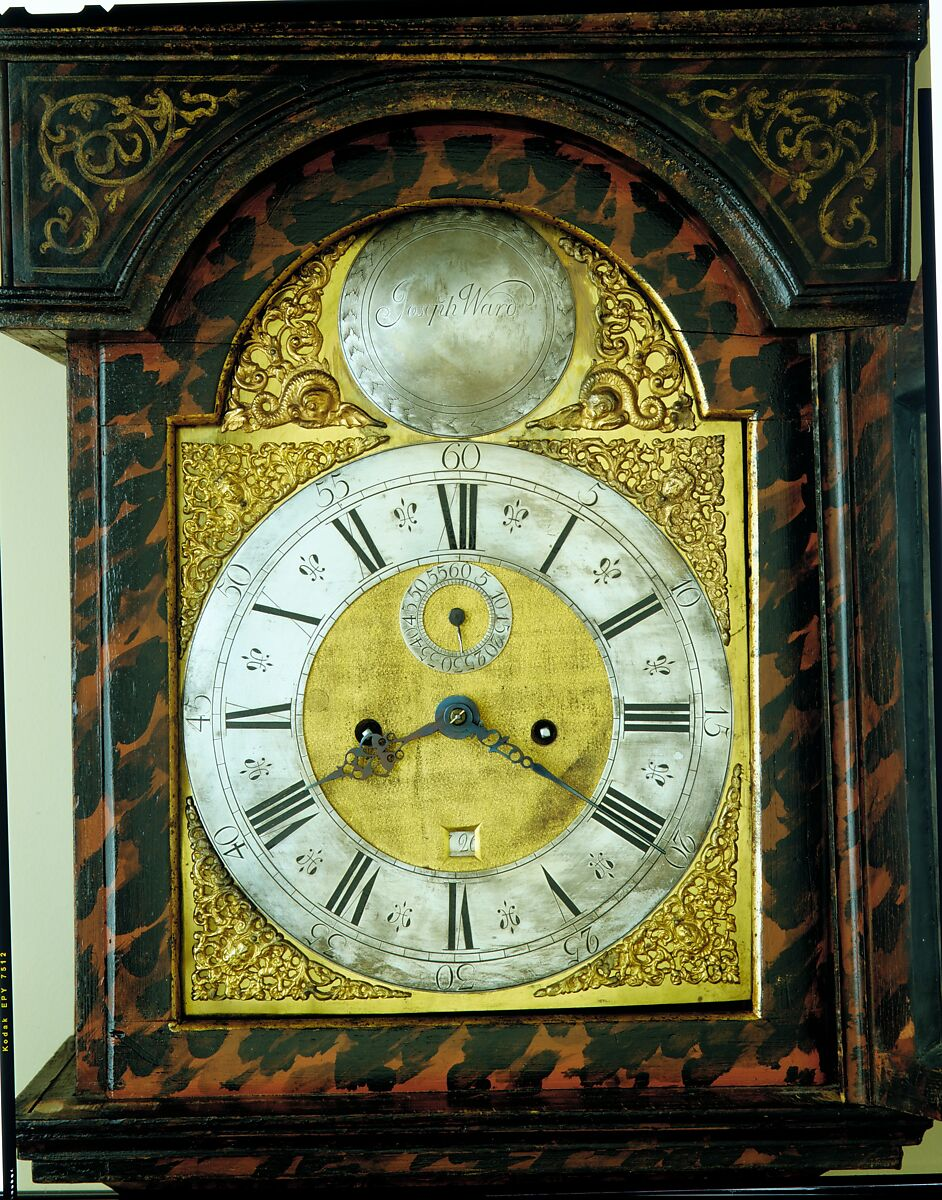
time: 3:40
